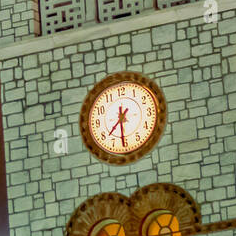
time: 7:30
